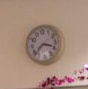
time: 3:38
